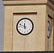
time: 11:48
